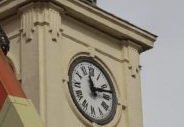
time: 11:12
